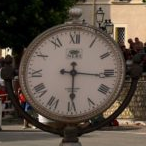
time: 12:16
